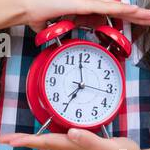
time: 6:58
